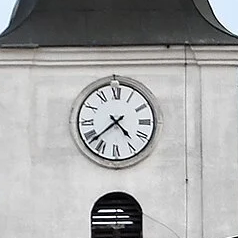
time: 4:38
